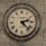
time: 2:22
